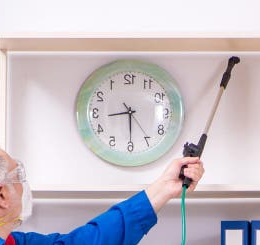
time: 8:29
